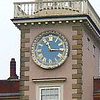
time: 11:14
